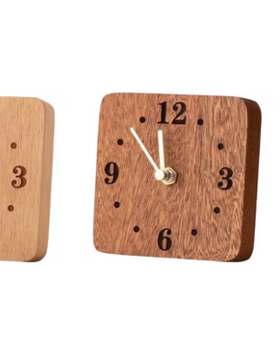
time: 11:52
